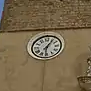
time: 6:06
